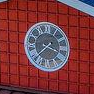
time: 3:38
